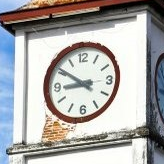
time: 8:50
